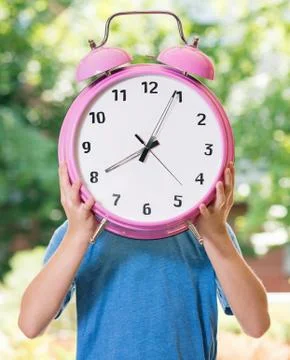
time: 8:04
